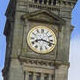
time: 8:17
